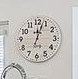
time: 12:03
